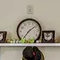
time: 1:36
